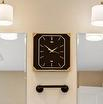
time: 1:51
